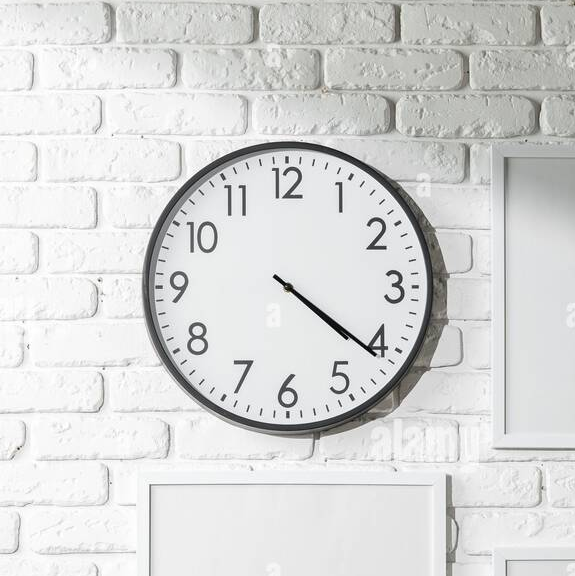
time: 4:21
